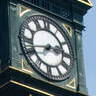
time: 2:42
